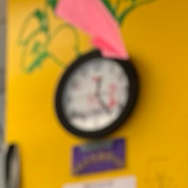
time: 12:23
